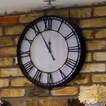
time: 11:55
